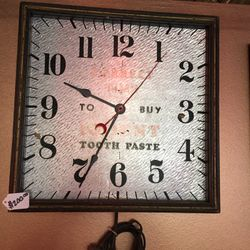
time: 9:34
